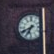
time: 6:40
